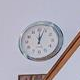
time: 12:03
